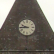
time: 9:44
